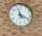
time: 11:18
